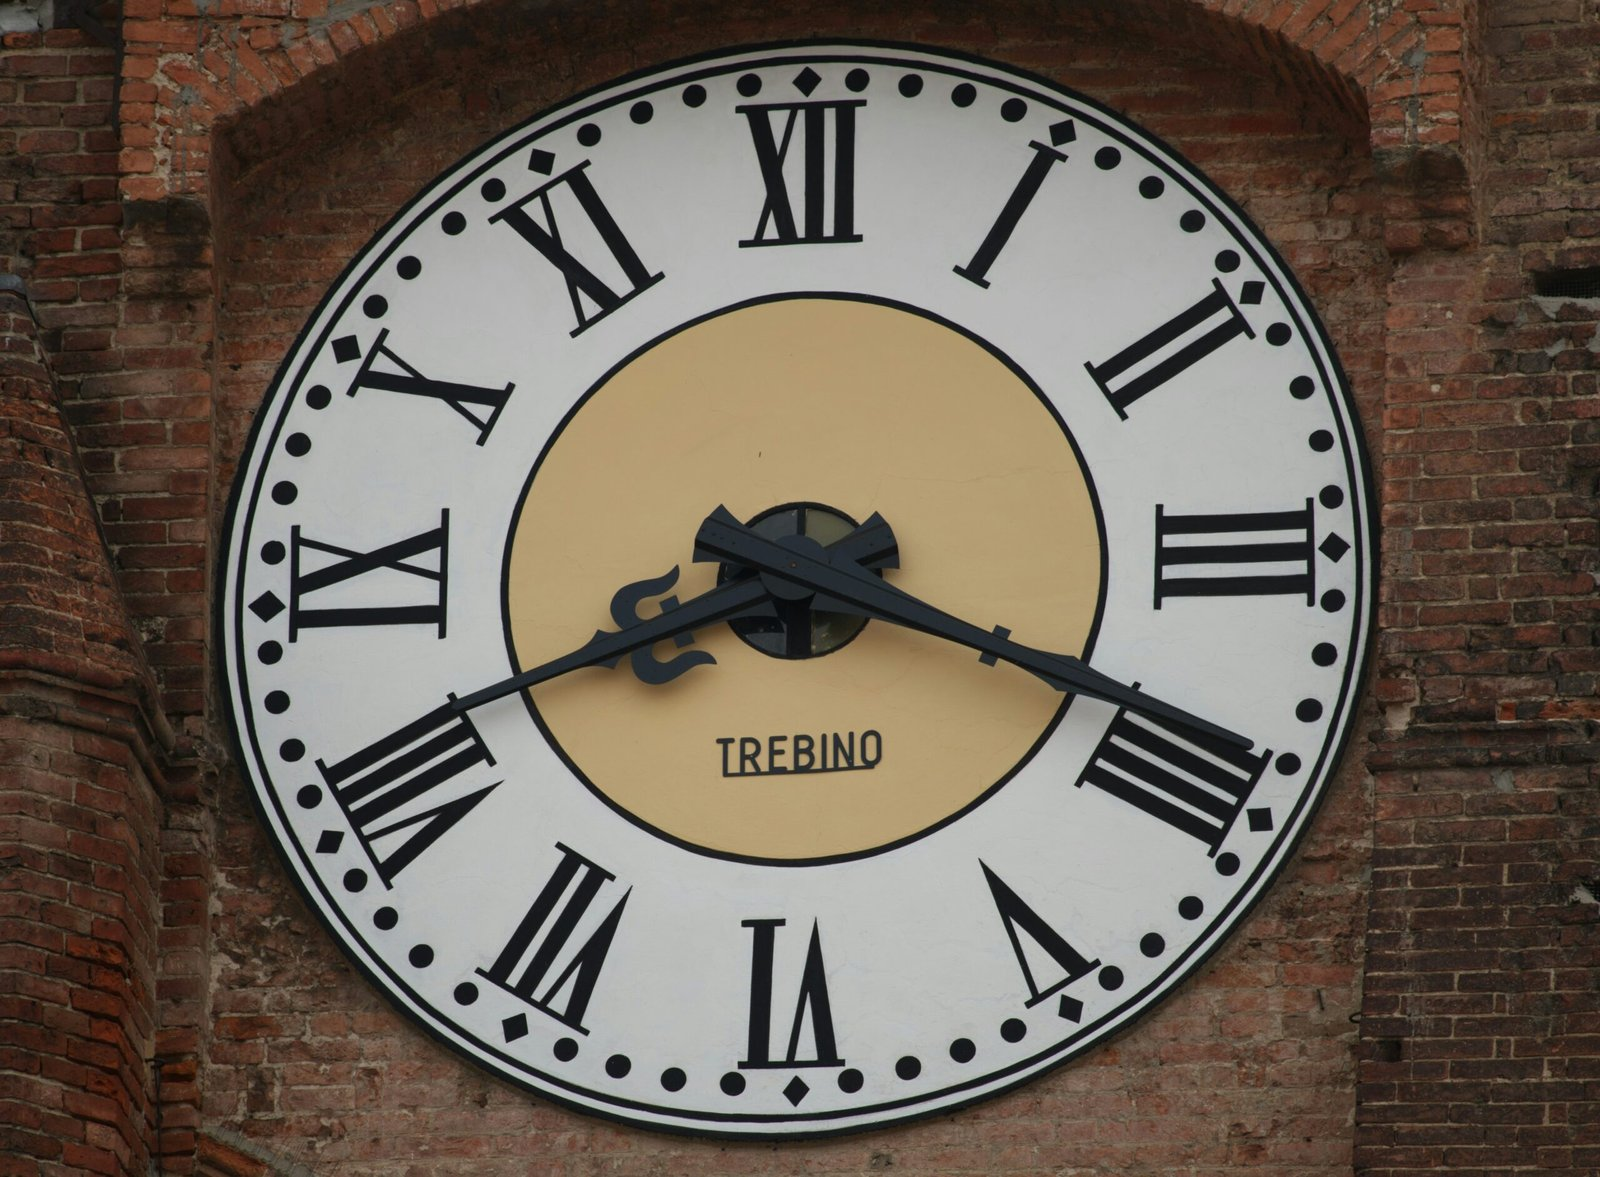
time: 8:18
